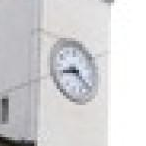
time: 8:21
